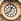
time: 12:38
